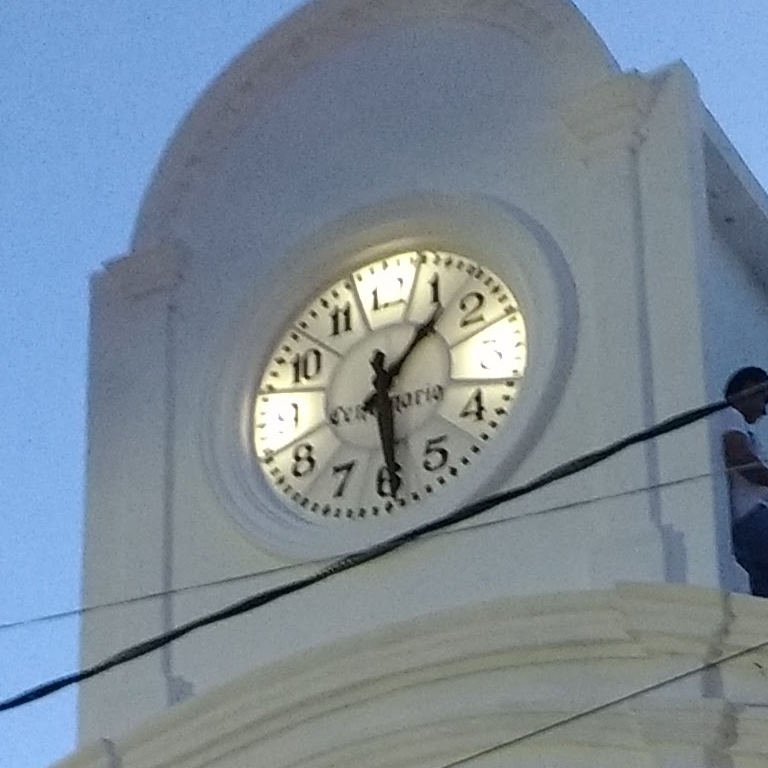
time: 1:29
